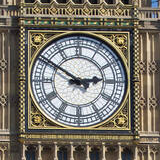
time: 2:50
